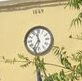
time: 11:35
